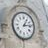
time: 1:13
